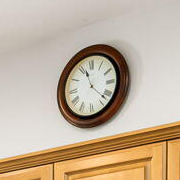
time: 11:22
